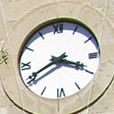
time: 3:40
